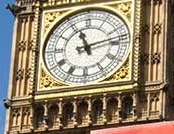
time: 11:12
